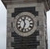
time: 11:33
